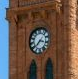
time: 3:38
